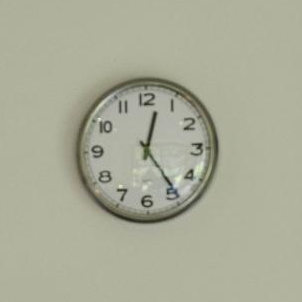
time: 12:24
